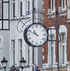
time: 10:48
